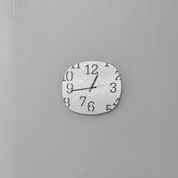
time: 12:43
